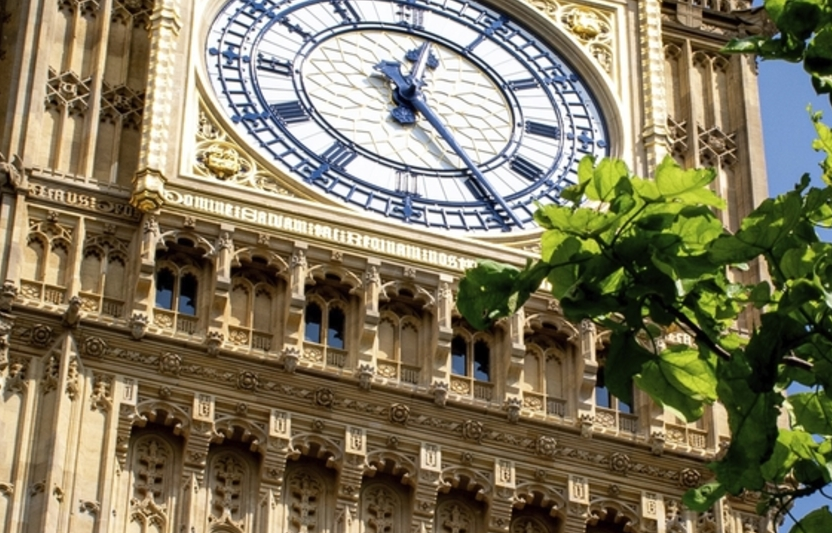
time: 12:24
